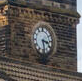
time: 3:28
